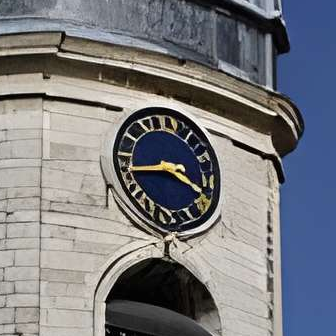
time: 3:43
